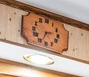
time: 2:33
